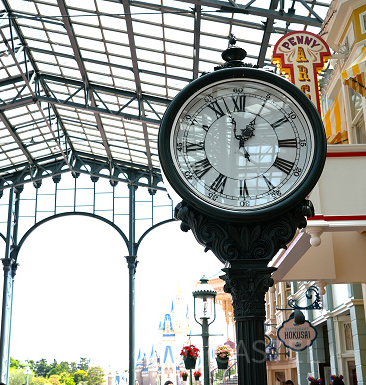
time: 12:57
